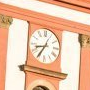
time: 8:35
